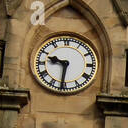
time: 9:31
